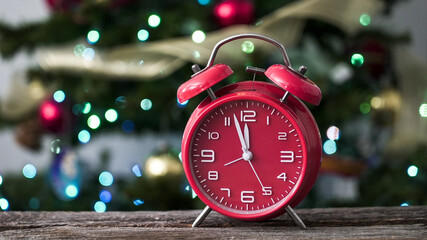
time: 11:57
